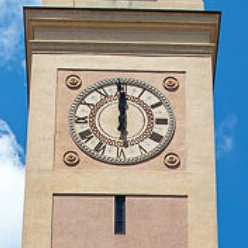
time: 11:59
